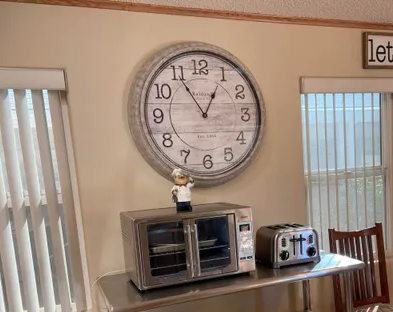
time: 12:54
